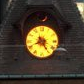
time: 8:24
